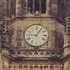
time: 9:05
